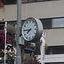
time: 7:44
